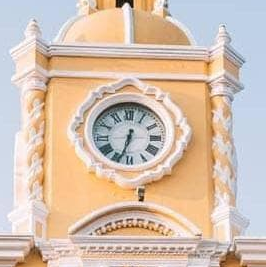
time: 12:33
